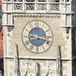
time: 9:17
